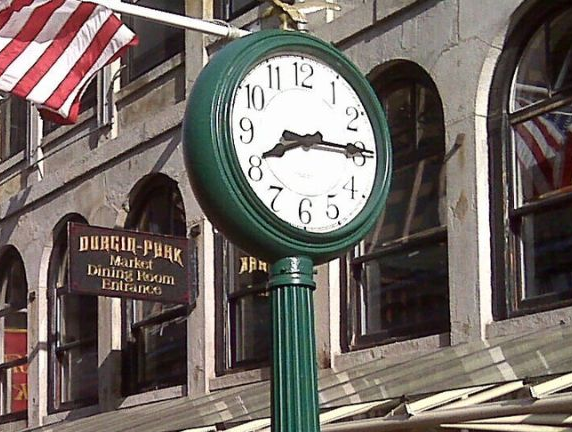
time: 8:14
